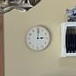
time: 3:00
